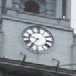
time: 9:35
